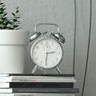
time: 2:31
